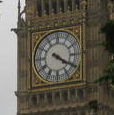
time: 4:20
